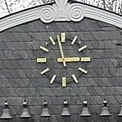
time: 2:58
